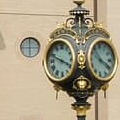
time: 3:48
